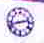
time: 2:42
